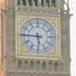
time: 5:45
